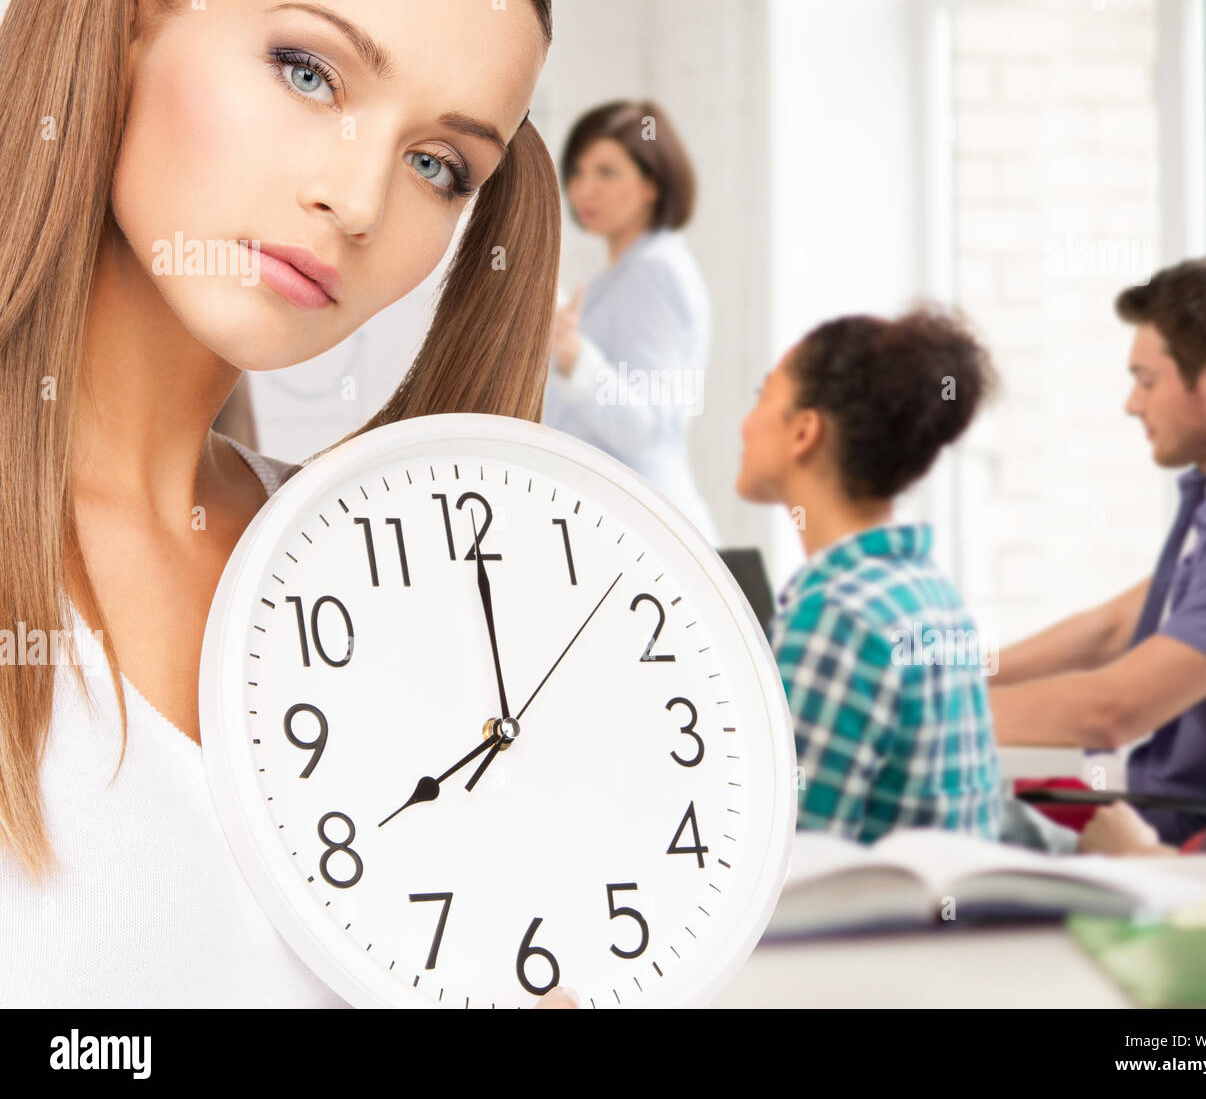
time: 8:00
